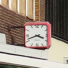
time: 3:41
